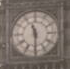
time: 11:29
